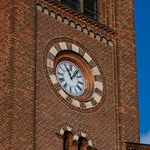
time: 11:07
